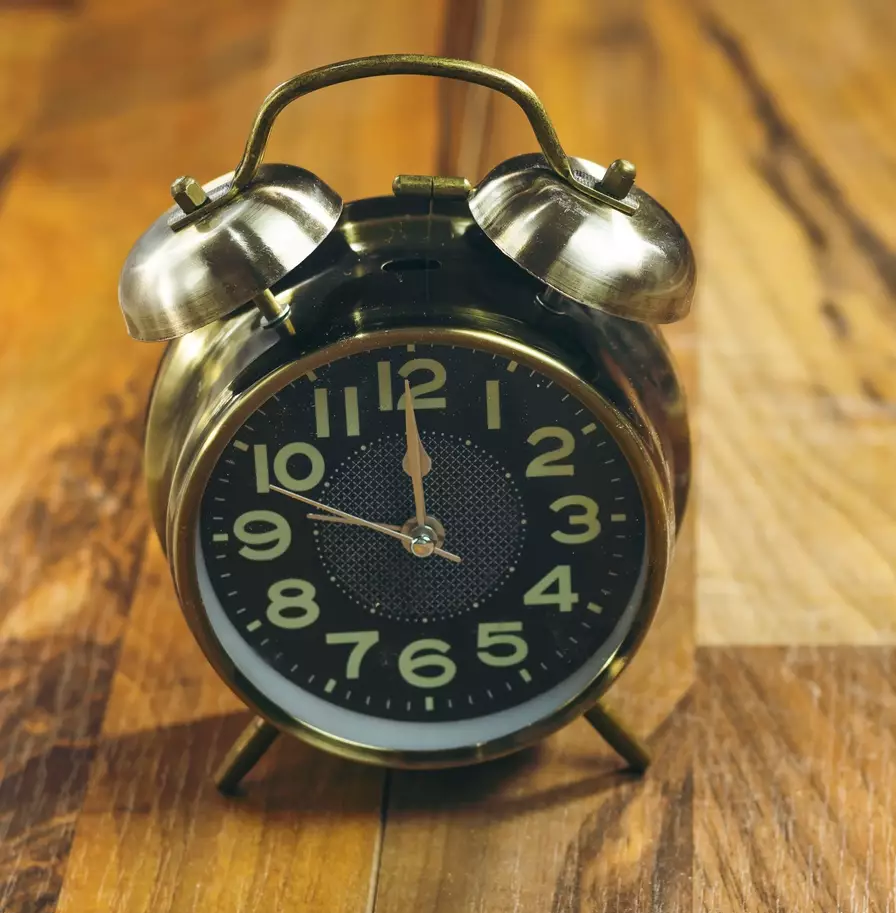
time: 11:48
